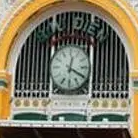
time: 12:19
